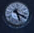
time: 5:18
